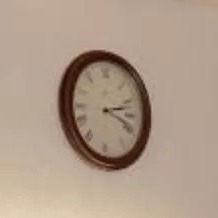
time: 2:18
